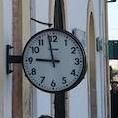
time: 8:58
